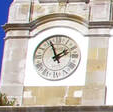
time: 1:56
